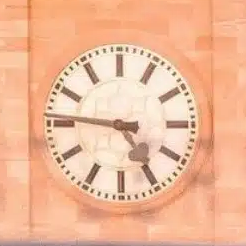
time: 4:46
